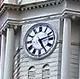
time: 5:12
